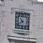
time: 10:39
